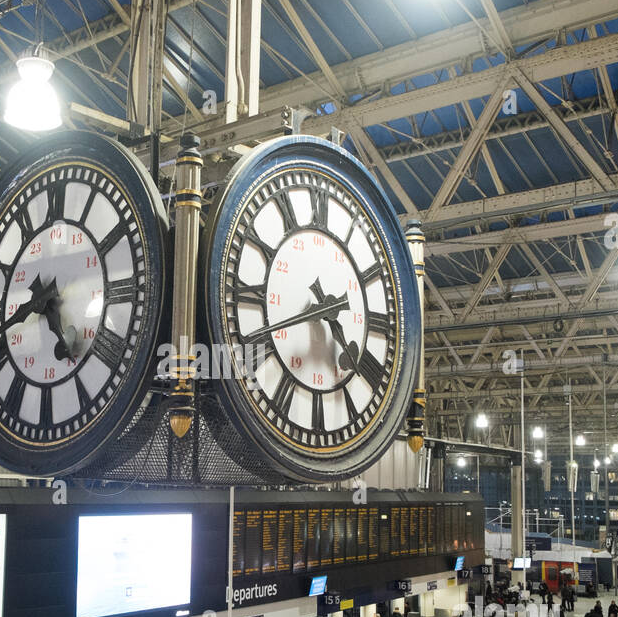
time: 4:41
